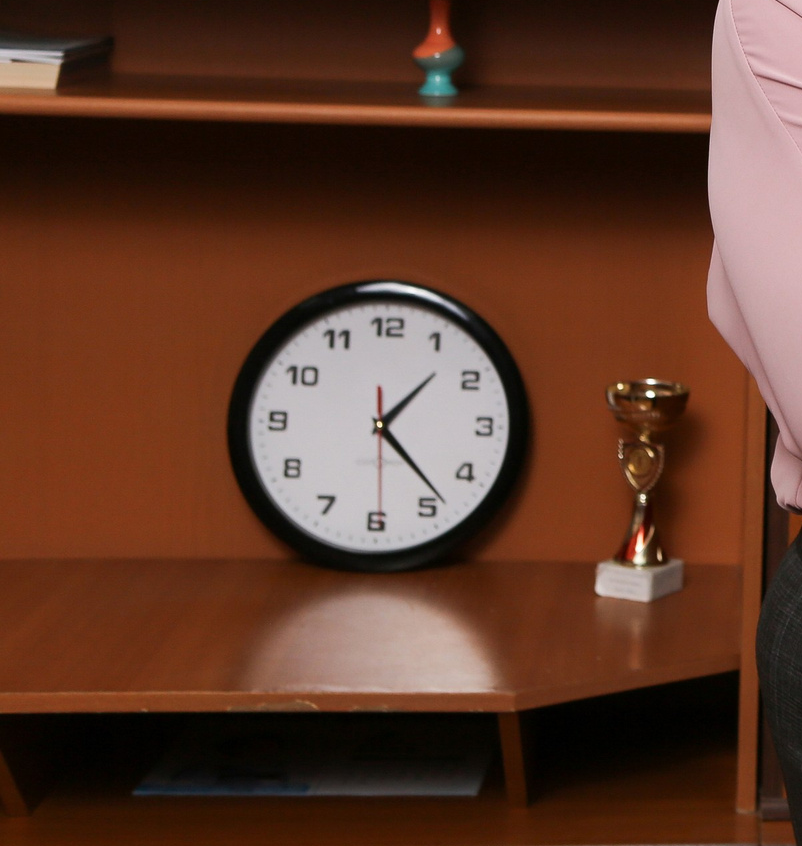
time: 1:23
